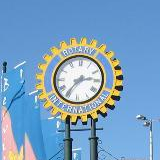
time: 2:36
